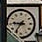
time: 8:36
